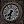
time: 7:32
